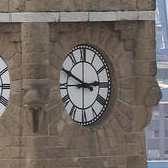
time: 2:49
